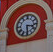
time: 3:29
